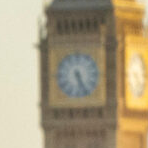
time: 5:26
